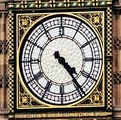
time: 4:23
